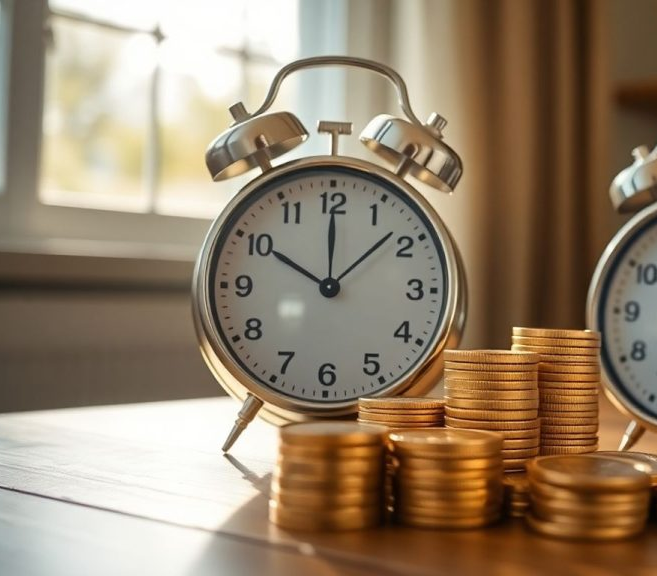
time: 10:00
